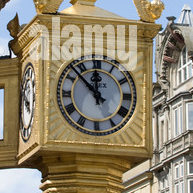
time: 11:52
